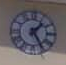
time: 1:24
